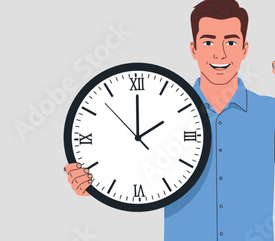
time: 2:00
